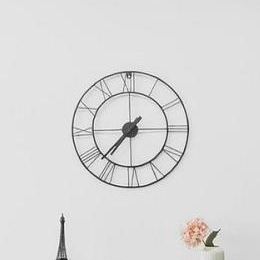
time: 7:37
